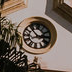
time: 2:52
